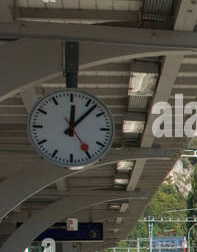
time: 12:07
